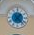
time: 1:22
